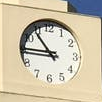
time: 10:45
